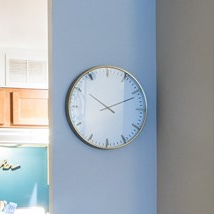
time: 10:11
